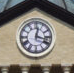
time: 12:17
